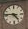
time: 4:46
